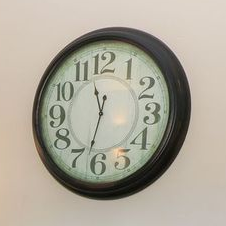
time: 11:32
